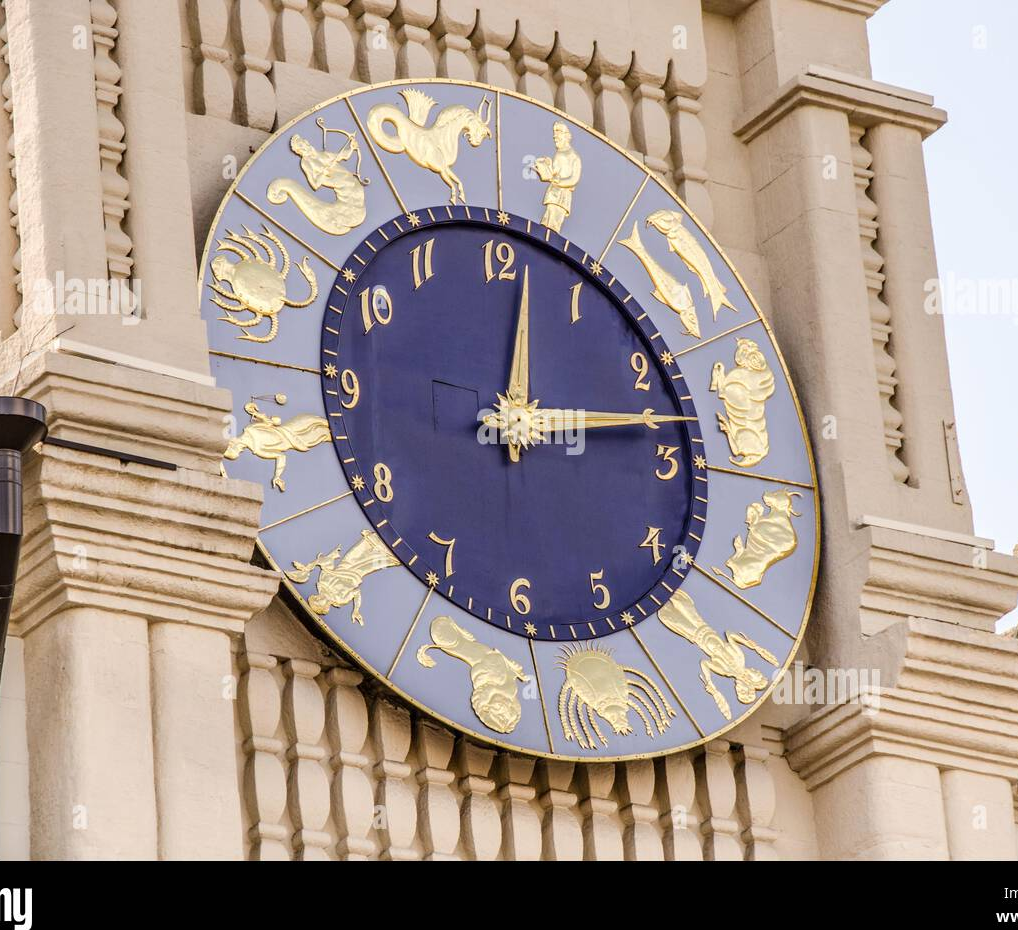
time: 12:13
